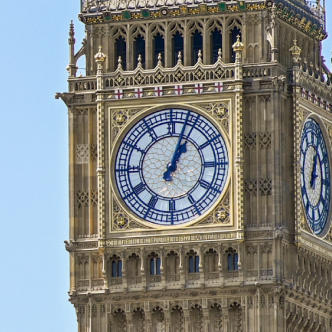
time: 1:03
